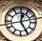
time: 12:24
